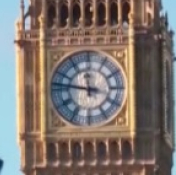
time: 11:46
